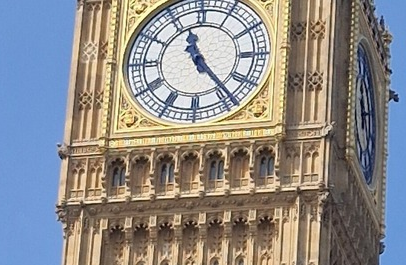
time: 11:23
